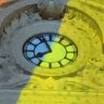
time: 7:55
